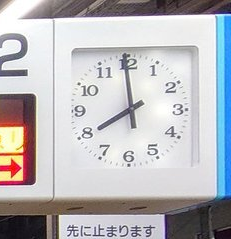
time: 7:59
